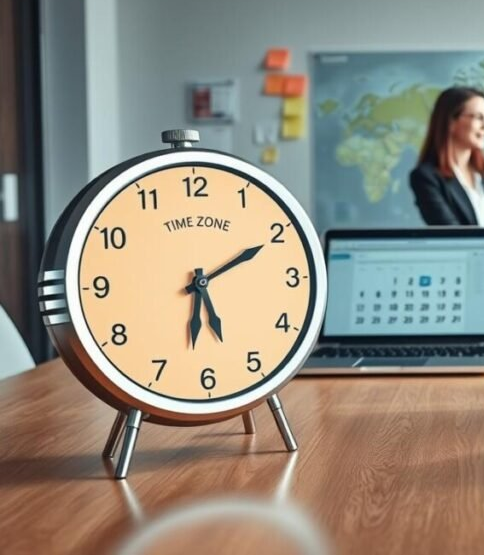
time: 6:10
